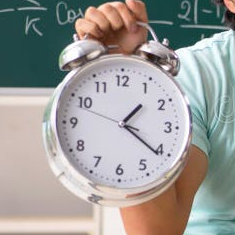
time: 1:21
